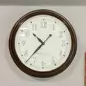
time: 10:37
